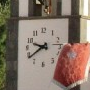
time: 9:38
